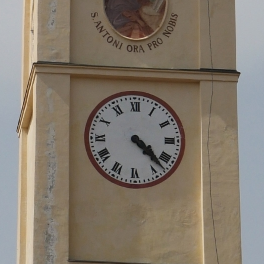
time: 4:22
